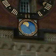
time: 12:23
